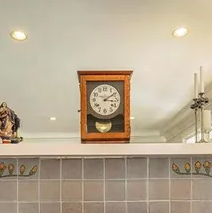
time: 3:09
